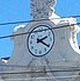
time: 2:20
